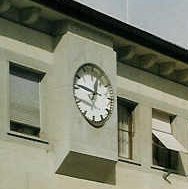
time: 12:46
